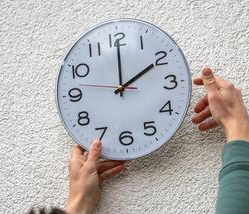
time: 2:00
